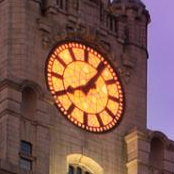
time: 8:06
